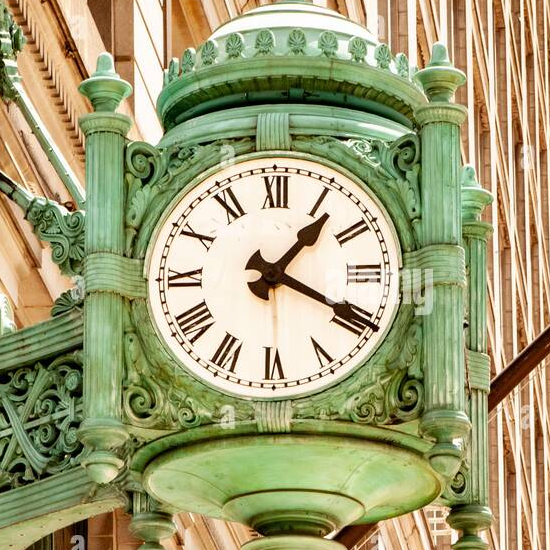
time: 1:19
